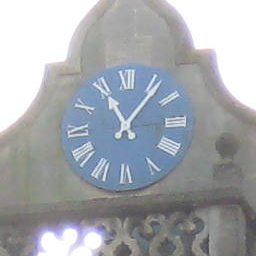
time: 11:06
